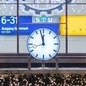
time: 11:57
